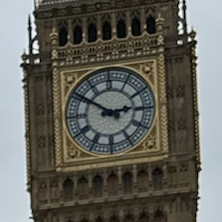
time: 2:50
